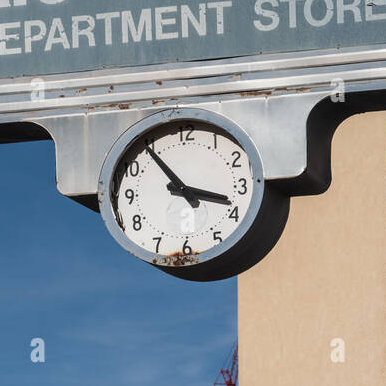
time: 3:54
